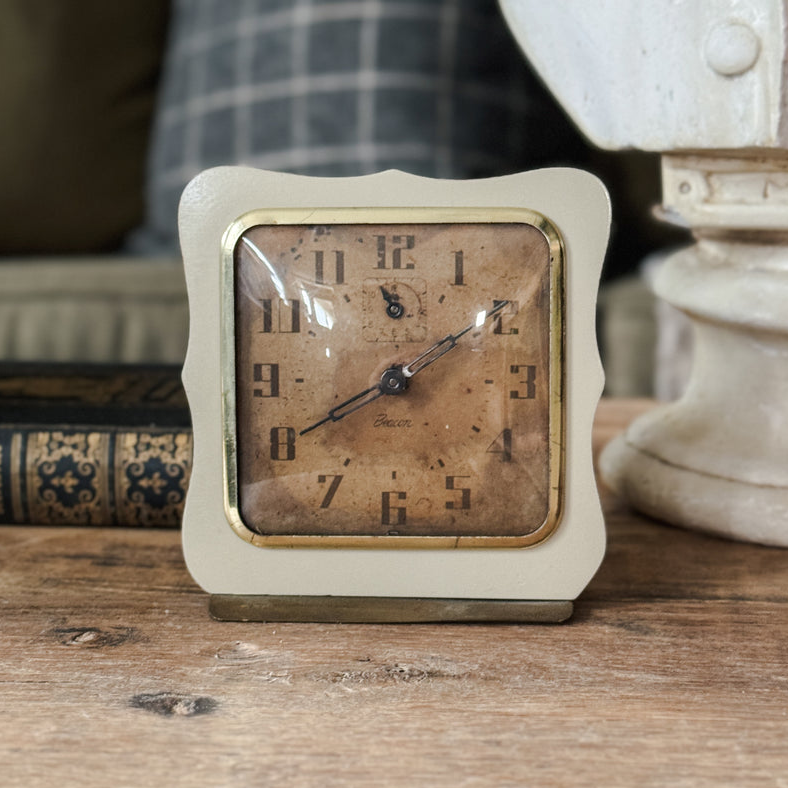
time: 8:09
